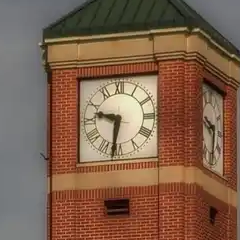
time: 9:31
